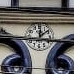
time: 12:07
